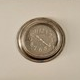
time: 4:21
